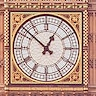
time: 12:52
